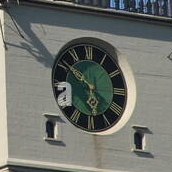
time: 5:51
